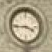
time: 3:44
